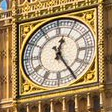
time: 12:24
